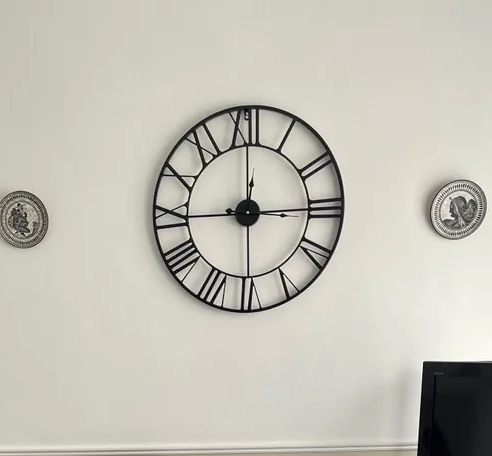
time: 3:00
